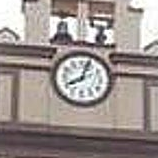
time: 8:03
